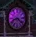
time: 8:21
